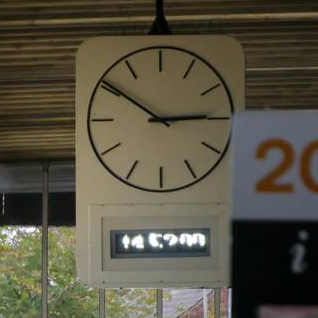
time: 2:50
